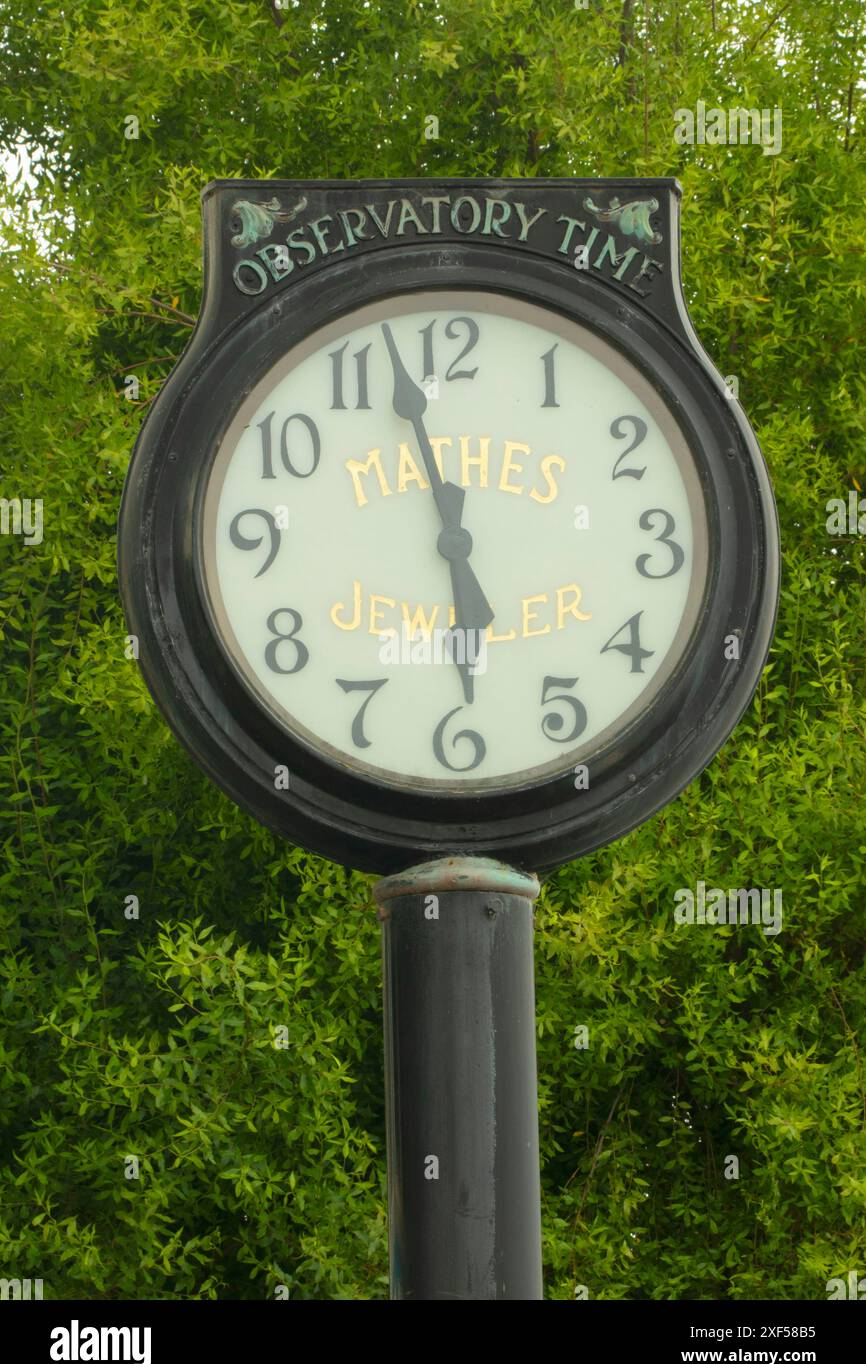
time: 5:57
